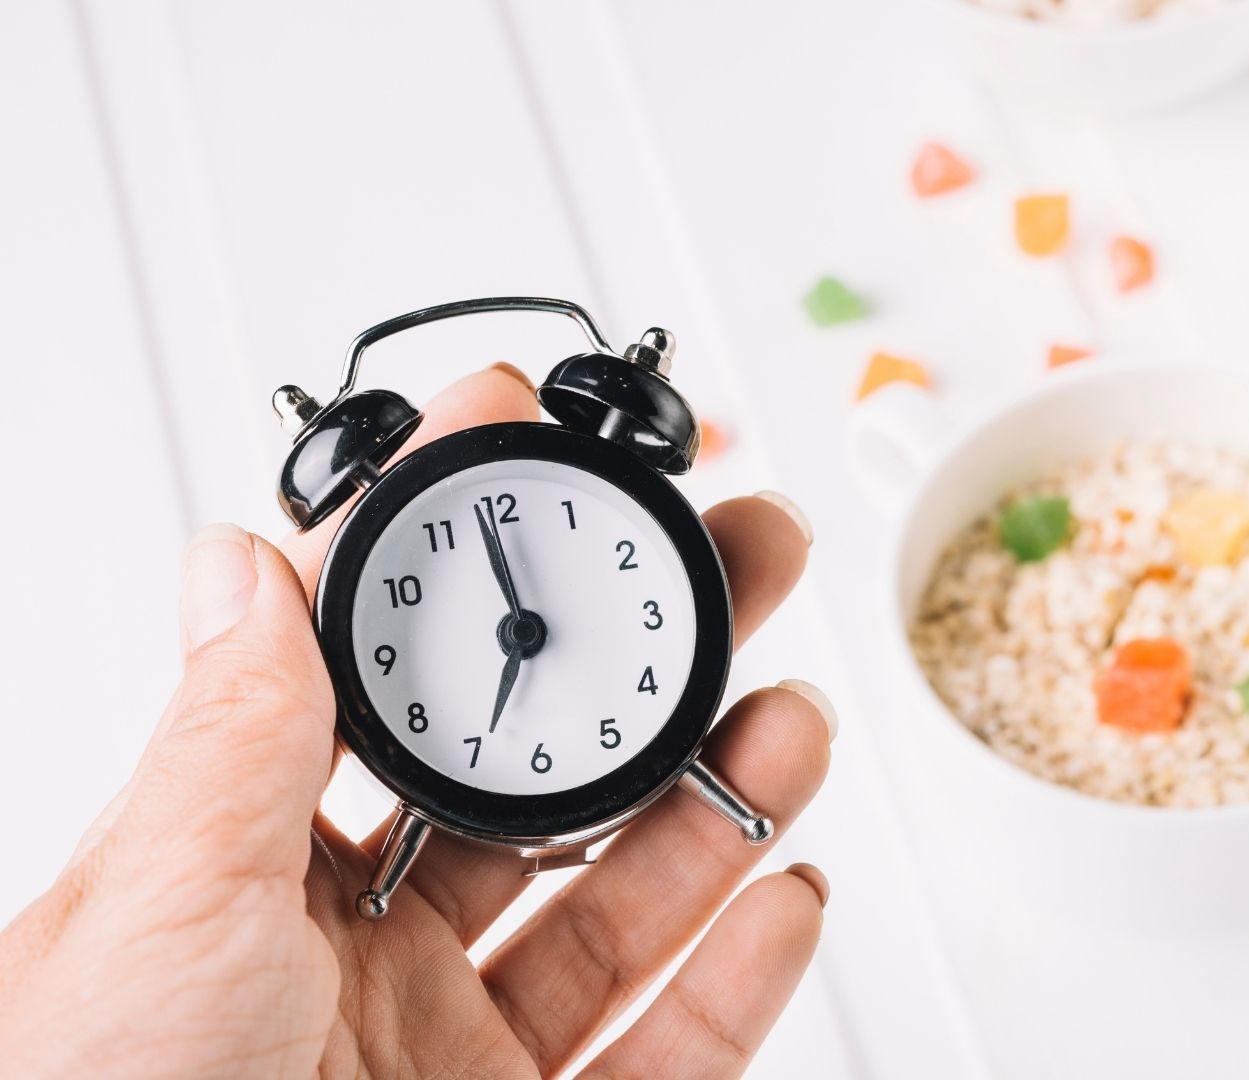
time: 6:58
